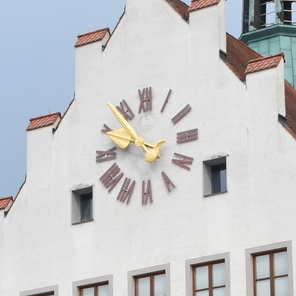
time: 9:53
